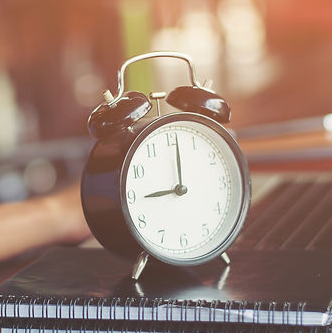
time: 9:01
